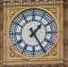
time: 1:24
